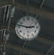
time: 2:47
